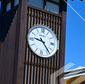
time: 9:23
